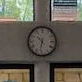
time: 10:32
